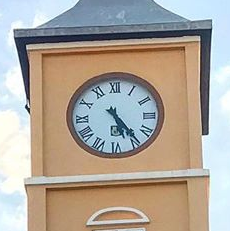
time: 5:23
